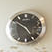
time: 4:50
